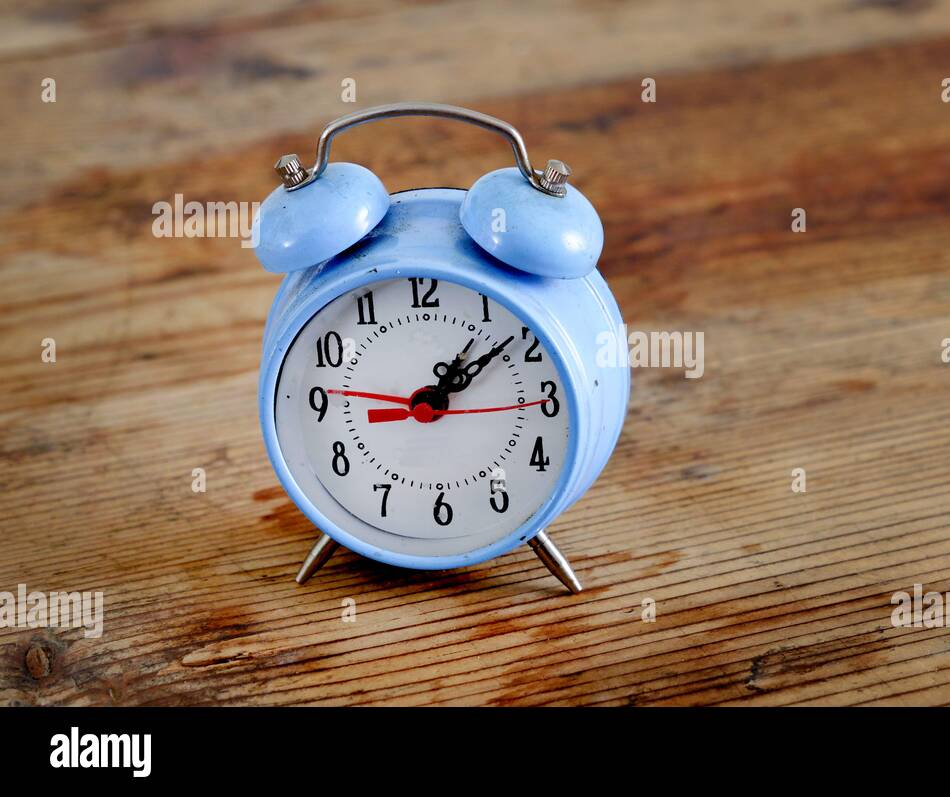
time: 1:08
